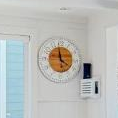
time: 3:58
